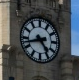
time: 4:42
